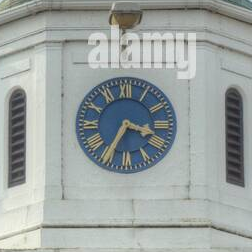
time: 3:34
